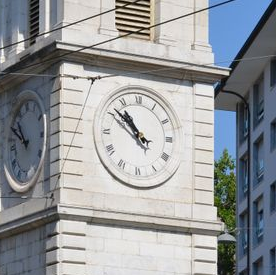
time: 10:52
